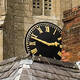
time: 2:48
